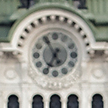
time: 6:55
